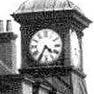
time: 4:35
